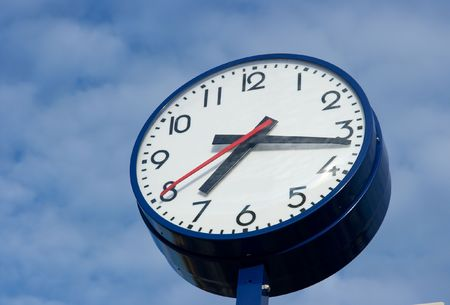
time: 7:16
